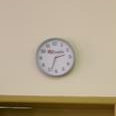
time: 2:33
